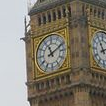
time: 11:10
